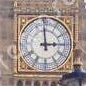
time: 2:59
